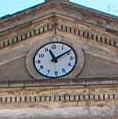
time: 11:10
